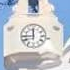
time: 11:44
